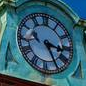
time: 3:25
